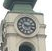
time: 2:50
